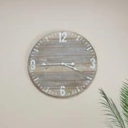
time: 3:45
